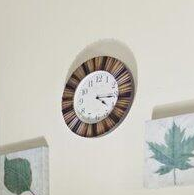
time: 4:15
